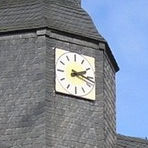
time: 2:17
